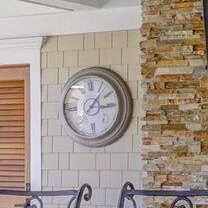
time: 3:06
